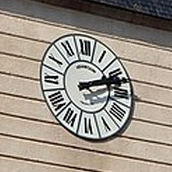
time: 2:11
